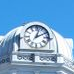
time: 2:02
